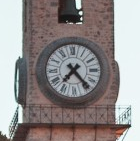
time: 7:23
